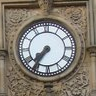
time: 7:35
